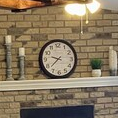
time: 9:38
